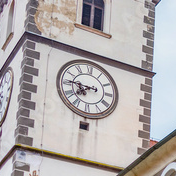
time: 7:46
